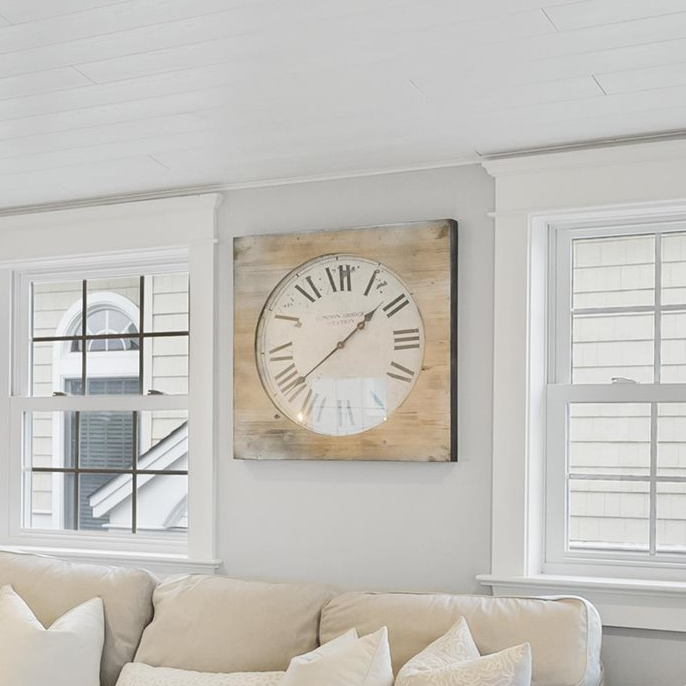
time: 1:38
